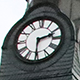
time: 2:30
